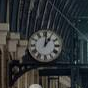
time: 1:01
